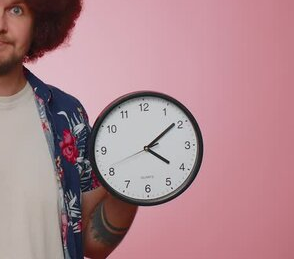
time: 4:08
